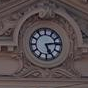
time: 5:14
